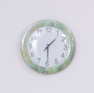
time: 1:29
